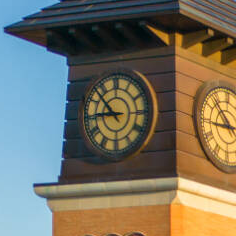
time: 8:52
